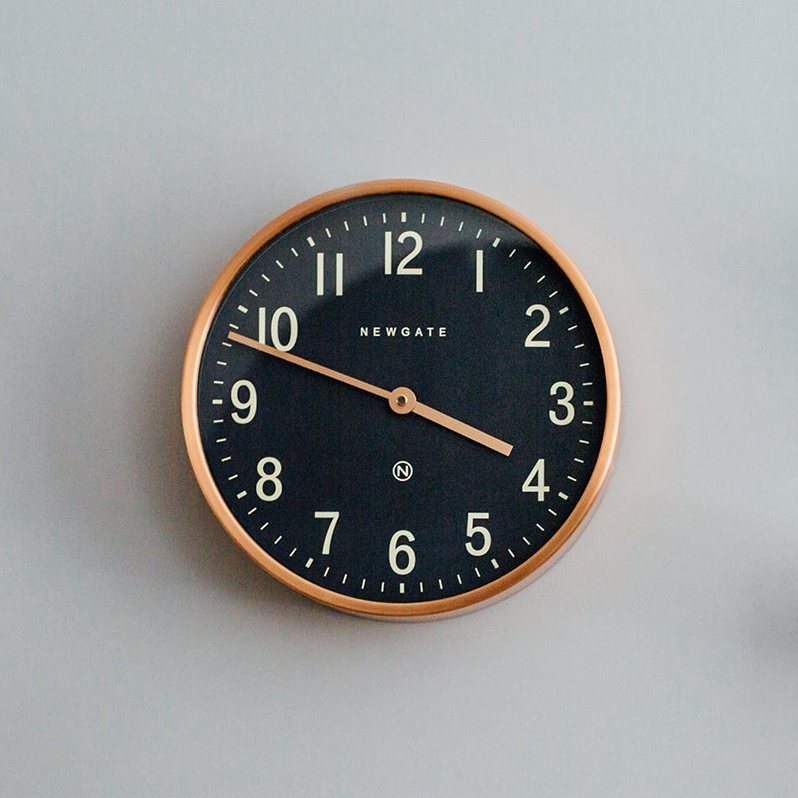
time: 3:48
